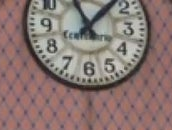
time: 11:07
